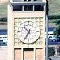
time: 10:34
